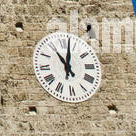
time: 11:02
